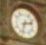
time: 2:32
